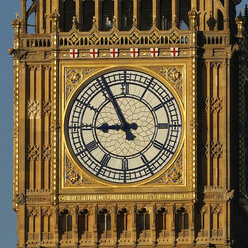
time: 8:54
